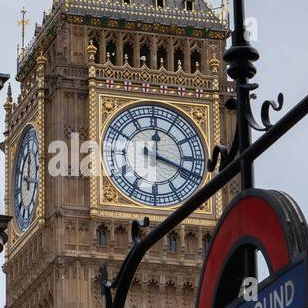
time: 12:18
